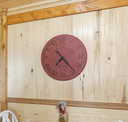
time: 7:23
